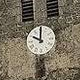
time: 10:00
